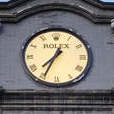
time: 7:34
